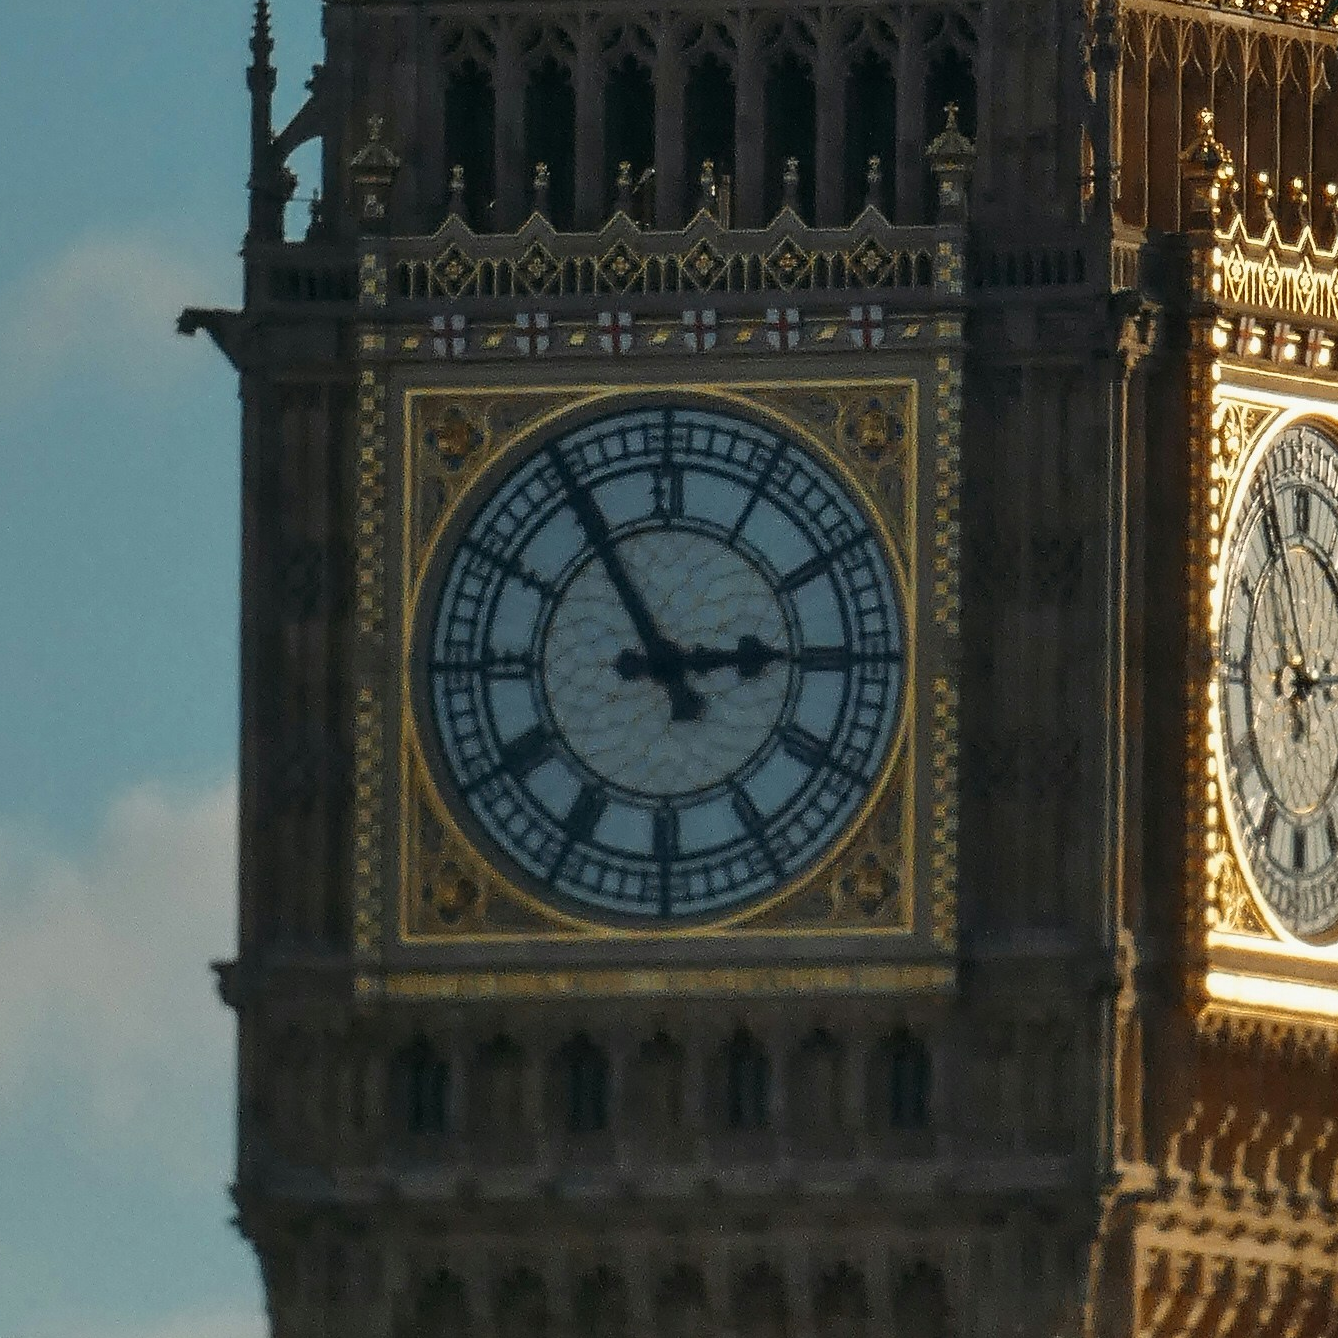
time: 2:54
